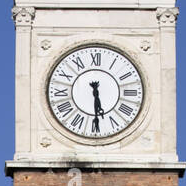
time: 5:29
